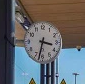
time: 3:32
